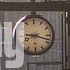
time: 9:18
